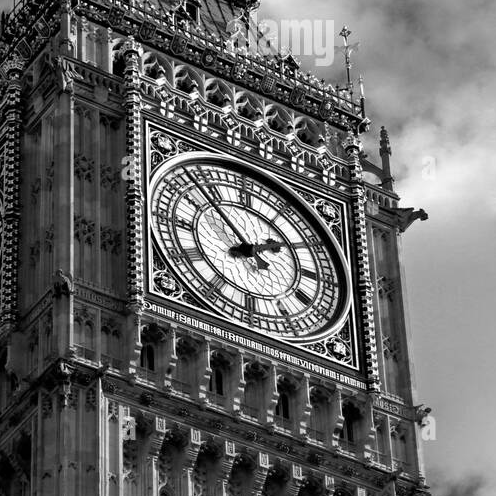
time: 1:52
